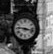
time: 9:17
